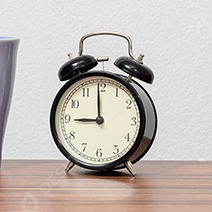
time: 8:59
